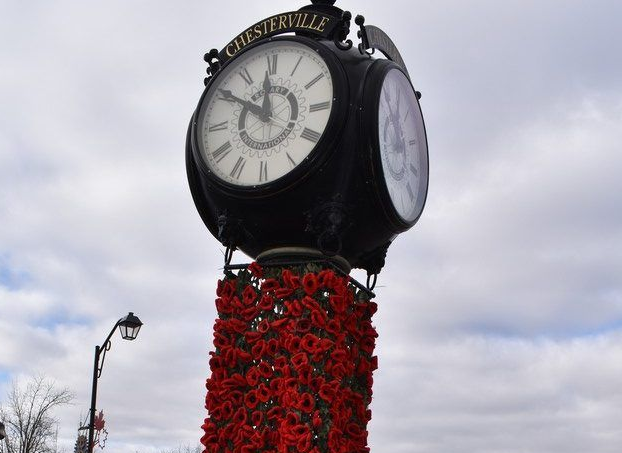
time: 11:50
